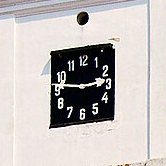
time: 2:46
